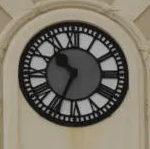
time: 10:34
